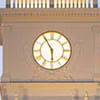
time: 5:55
